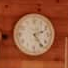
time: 2:24
